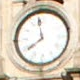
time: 7:58
